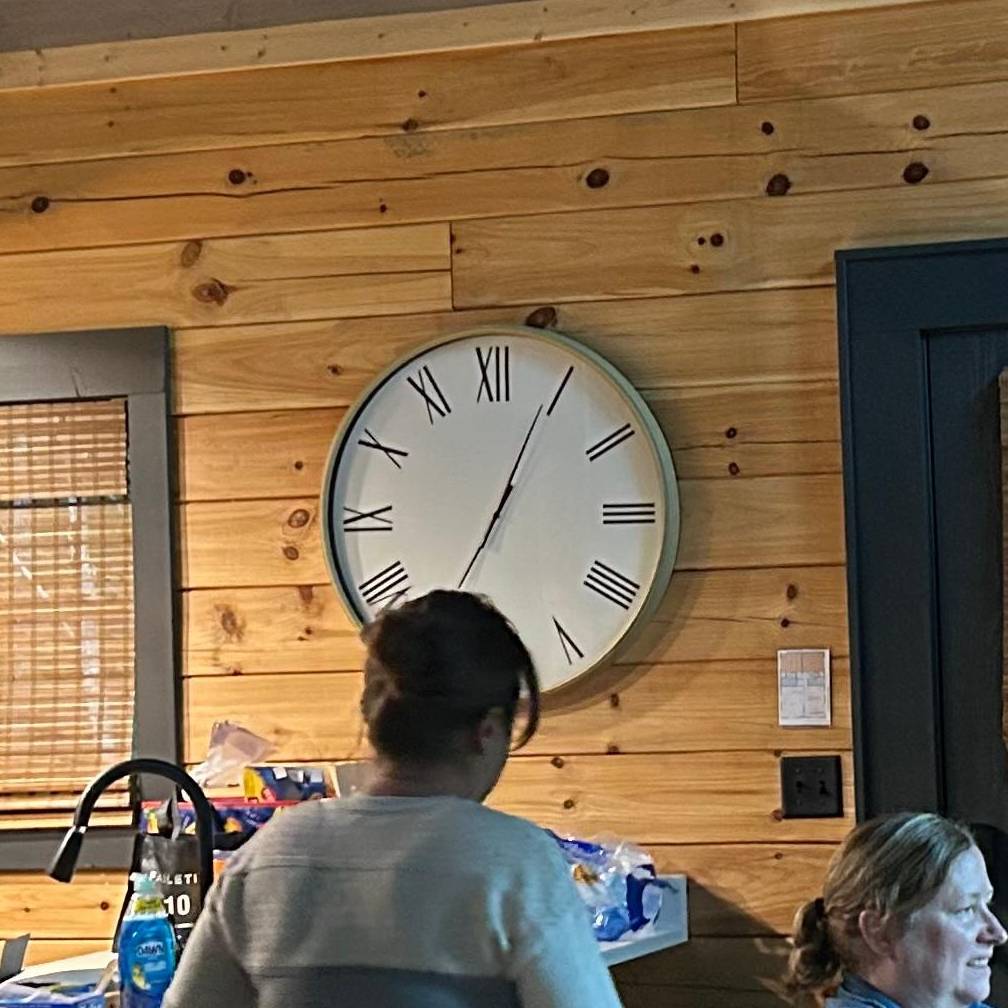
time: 7:04
